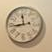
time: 11:43
